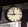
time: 8:57
